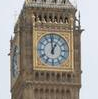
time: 12:59
